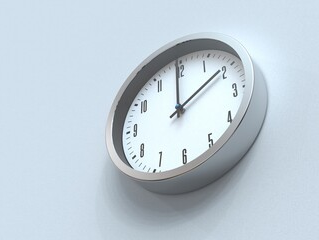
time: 1:59
